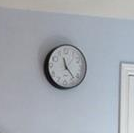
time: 11:22
